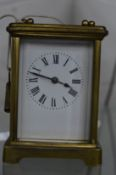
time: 3:47
